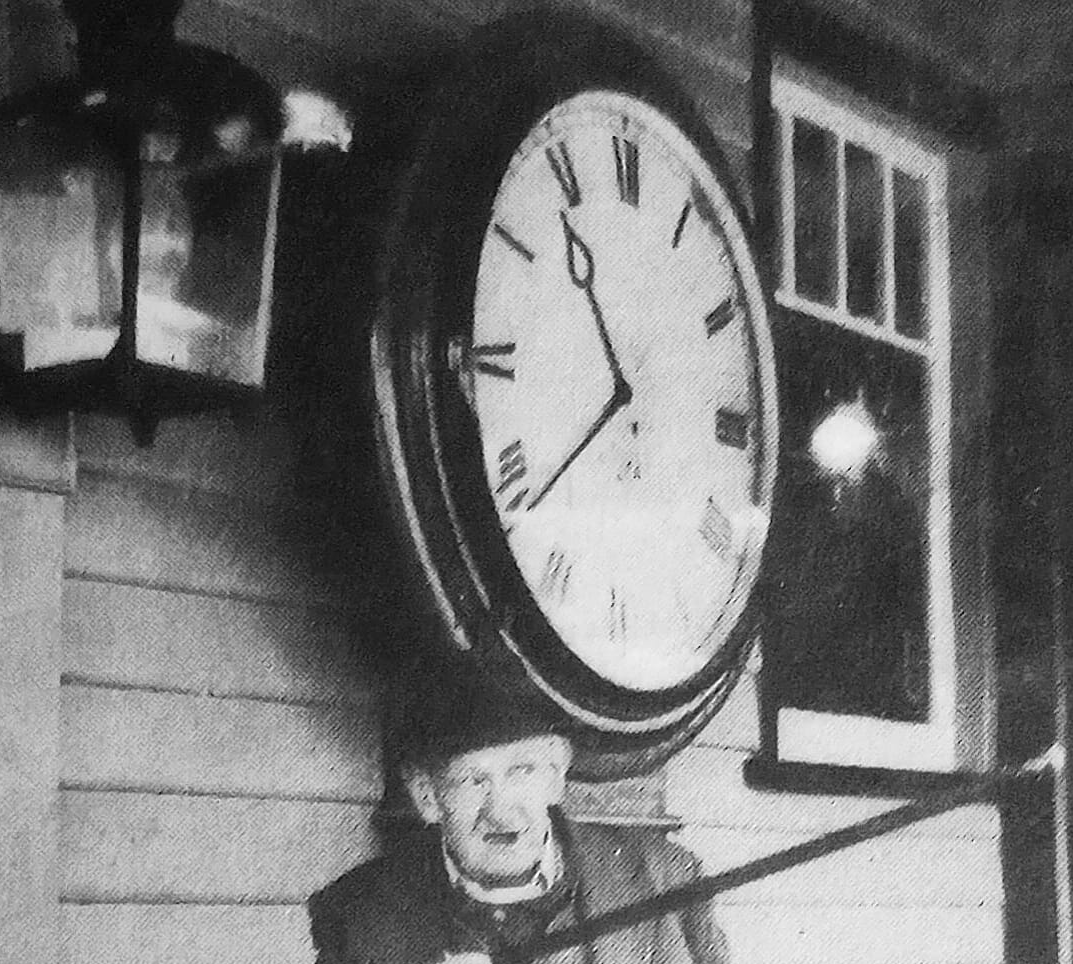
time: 10:38
